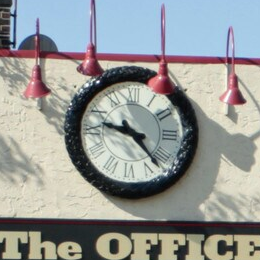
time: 9:23
